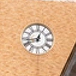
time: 12:43
